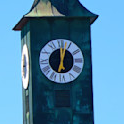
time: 12:03
